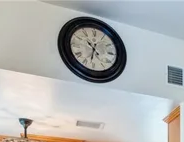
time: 10:31
